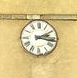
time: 2:16
